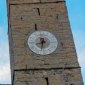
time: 8:32
